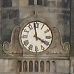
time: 3:58
